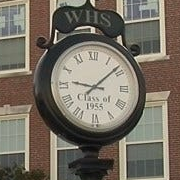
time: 9:08
